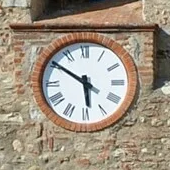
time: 5:50
